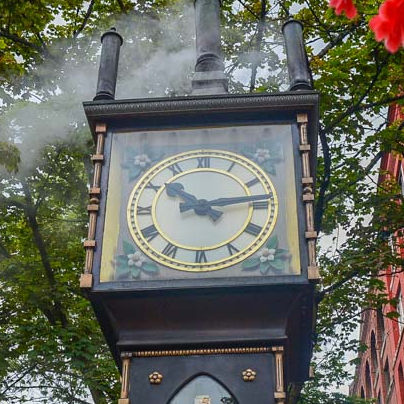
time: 10:13
